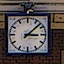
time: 3:07
